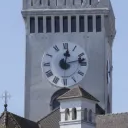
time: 12:12
